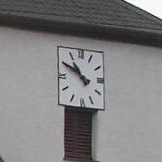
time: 10:49
